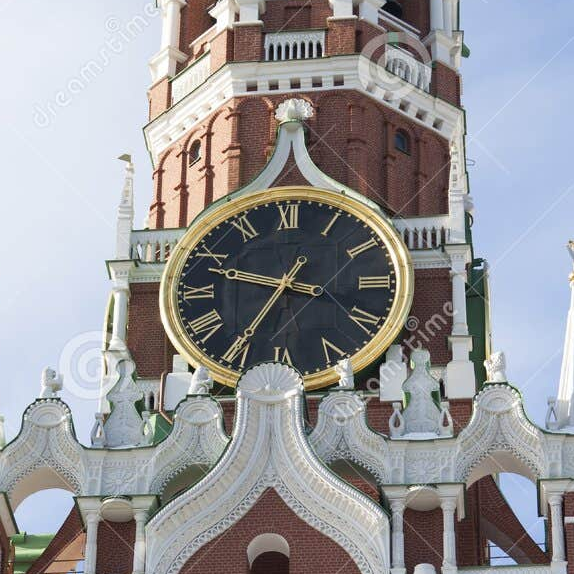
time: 9:35
